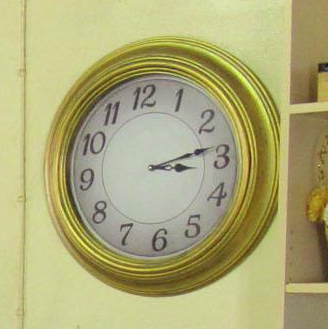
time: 3:13
